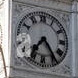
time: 7:24
